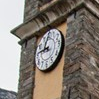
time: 9:01
